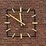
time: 11:50
